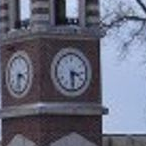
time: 3:29
